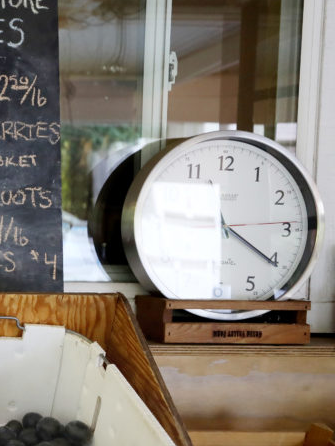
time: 9:20
